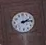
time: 2:14
